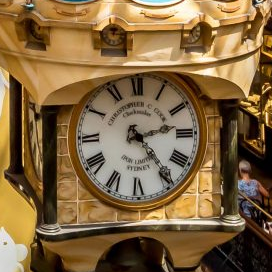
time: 2:23
